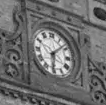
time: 6:08
